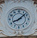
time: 8:08
